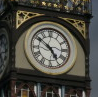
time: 4:51
